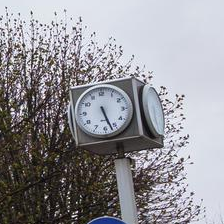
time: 5:26
